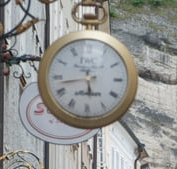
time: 5:42
